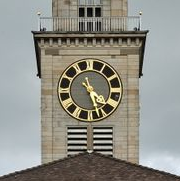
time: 4:26
